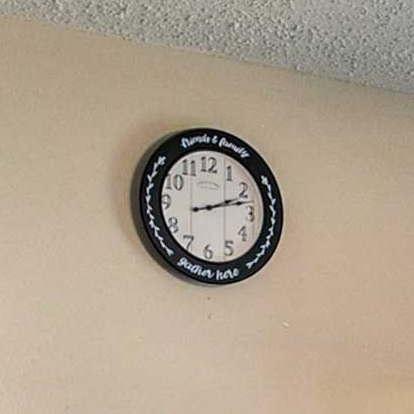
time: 2:12
